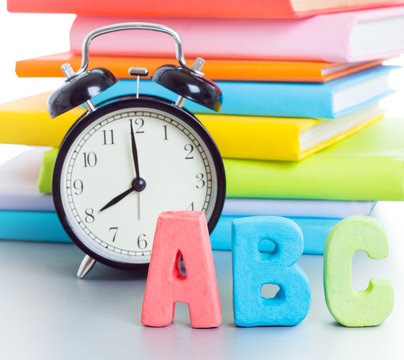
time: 7:59
